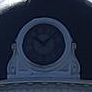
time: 10:07
